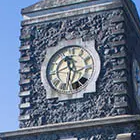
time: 11:32
